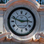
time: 2:48
